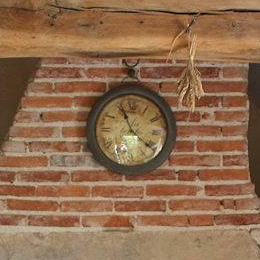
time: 11:21
